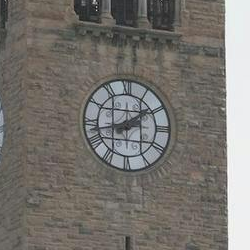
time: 1:42
